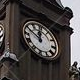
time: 11:49
